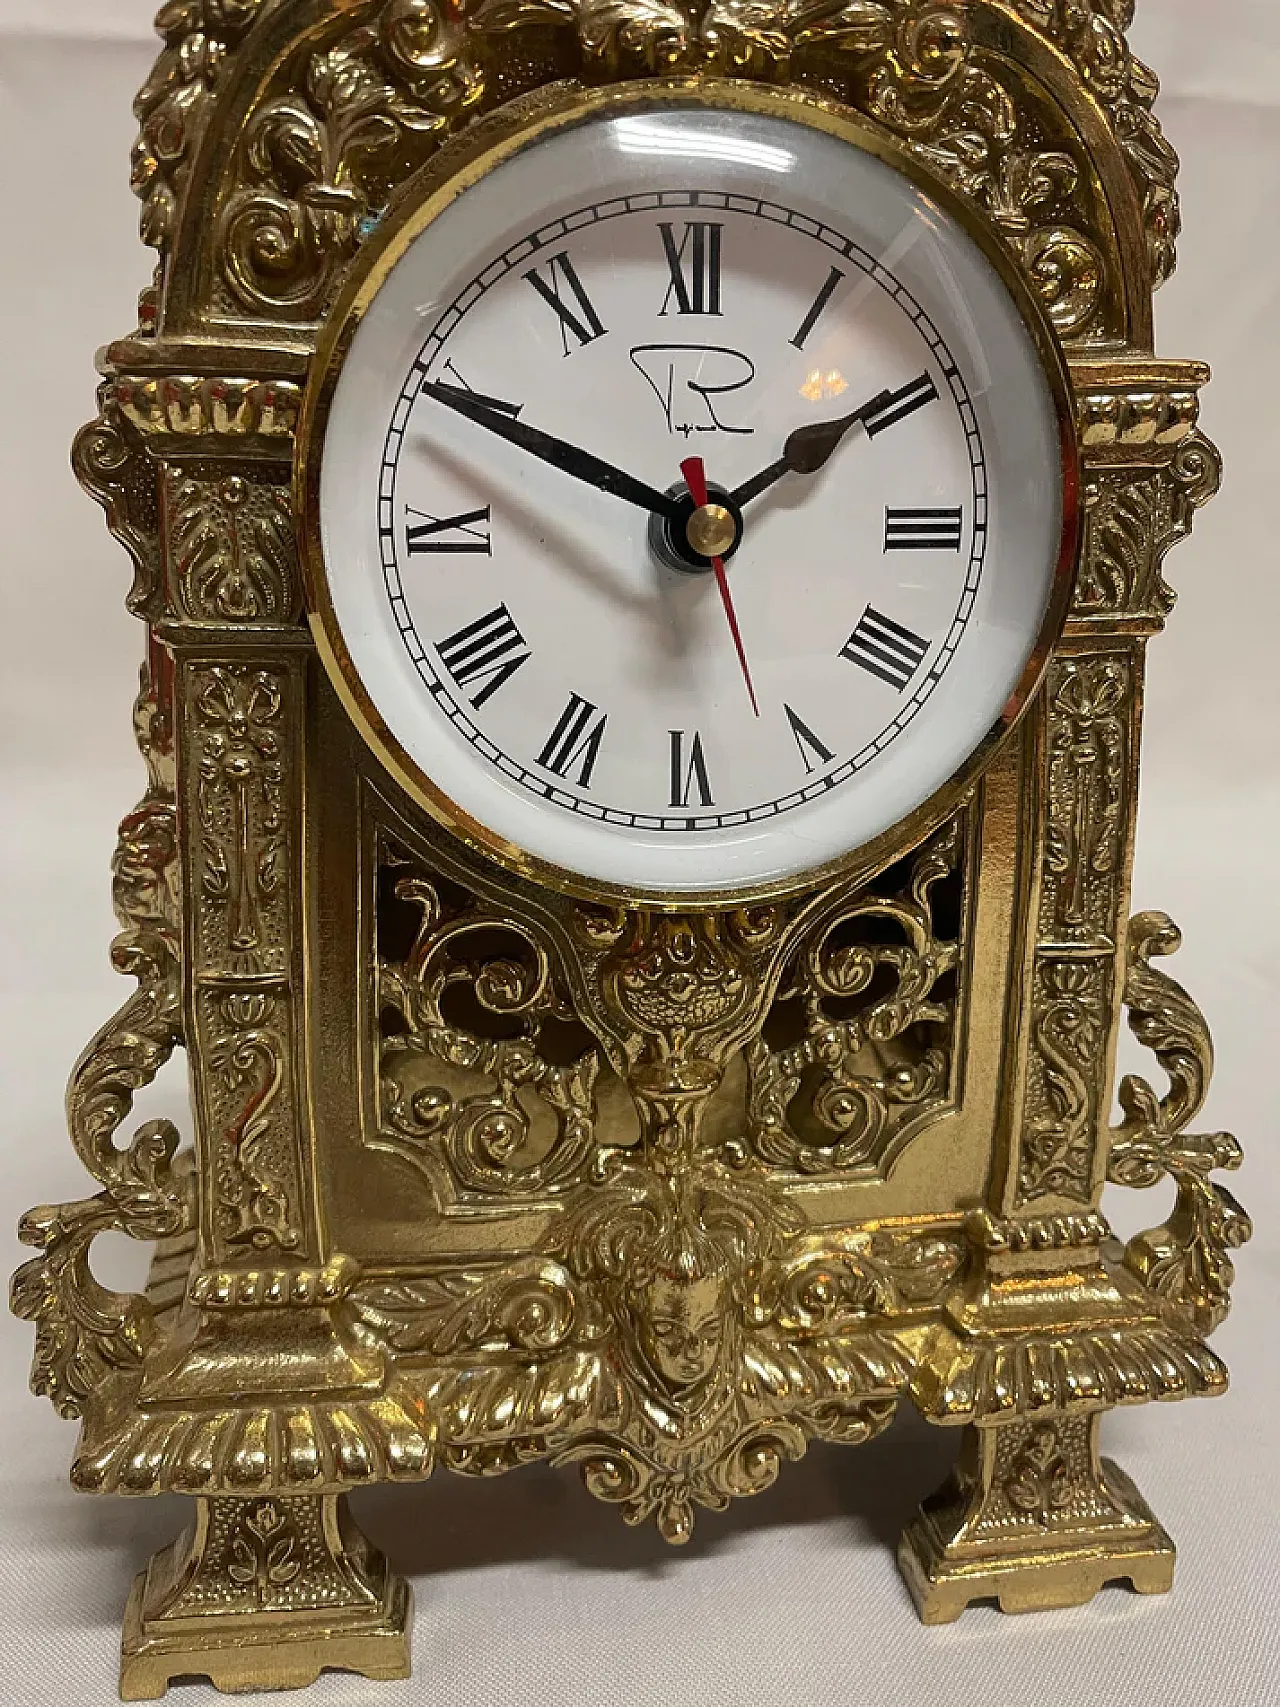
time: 1:49
